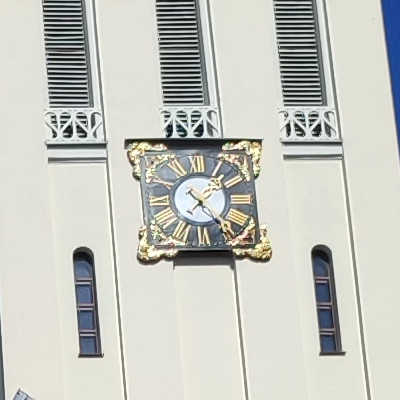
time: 1:23
